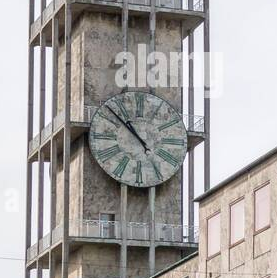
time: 10:51
